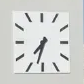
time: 7:32
